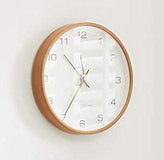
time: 10:35
